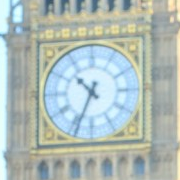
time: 10:34
